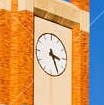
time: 3:25
